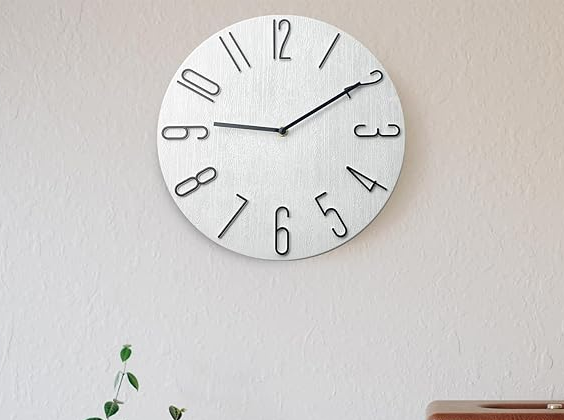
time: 9:09
